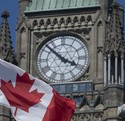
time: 3:52
